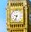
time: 9:33
